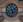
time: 5:11
